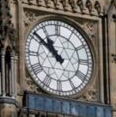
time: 10:51
